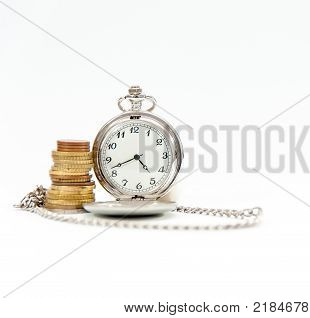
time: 4:42
